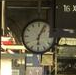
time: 6:05
